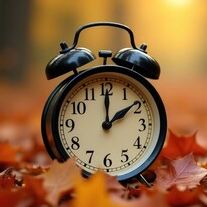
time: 2:00
